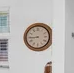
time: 8:44
